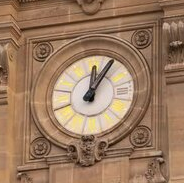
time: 12:05
